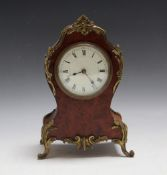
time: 8:23
